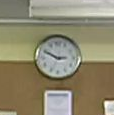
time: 2:49
